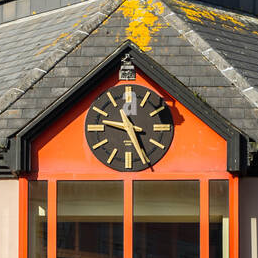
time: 9:25
